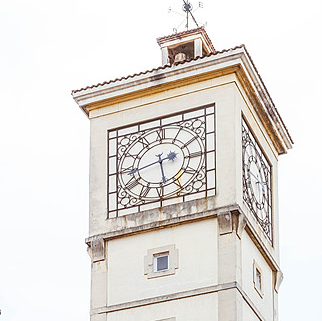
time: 2:29
